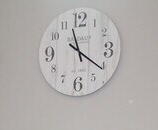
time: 11:20
